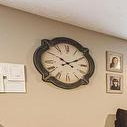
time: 10:10
